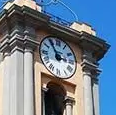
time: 2:54
